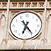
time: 6:23
